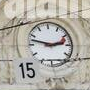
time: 2:48
